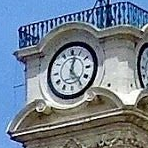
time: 12:24
